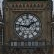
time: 1:46
